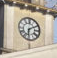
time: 6:10
